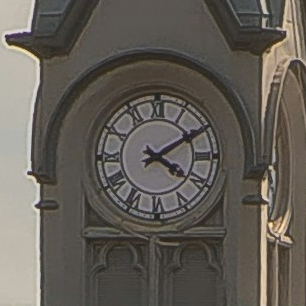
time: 4:09
